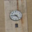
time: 4:44
